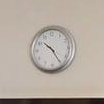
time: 10:24
